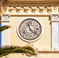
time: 11:21
